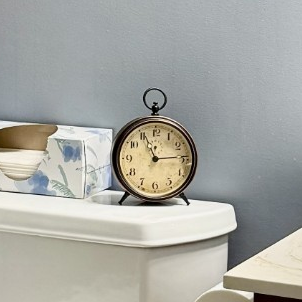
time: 11:14
